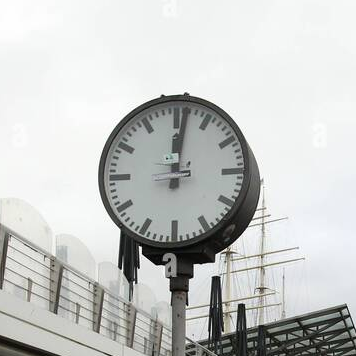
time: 12:01
